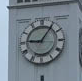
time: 9:05
